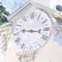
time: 9:16
